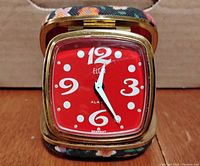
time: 12:24
